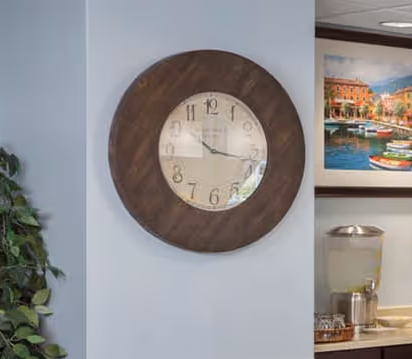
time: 10:17
